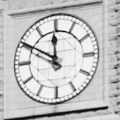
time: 11:50
